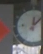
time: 12:07
